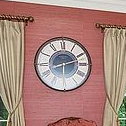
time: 2:29
